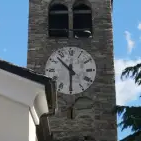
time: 10:30
